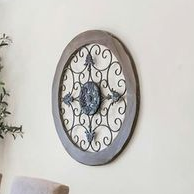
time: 11:32
